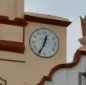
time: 12:34
